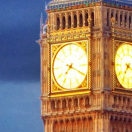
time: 7:19
